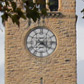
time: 4:14
